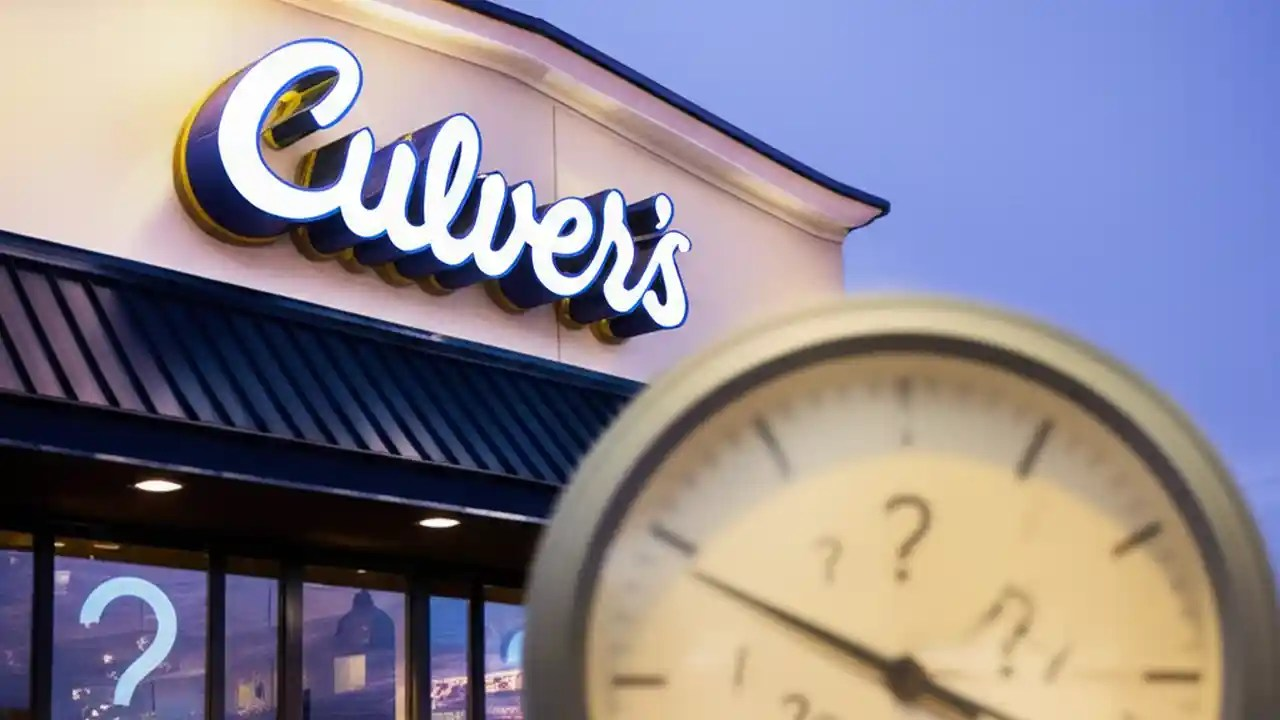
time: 3:49
